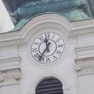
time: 11:35
